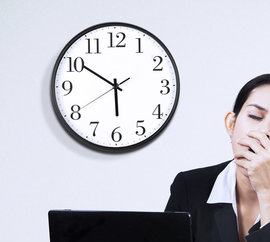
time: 5:50
